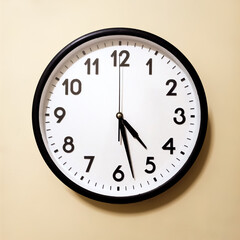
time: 4:27
